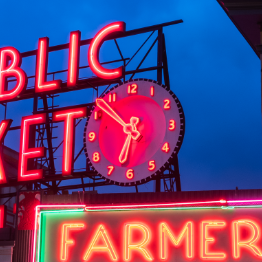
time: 6:52
